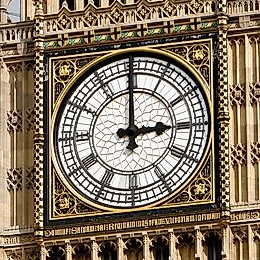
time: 2:59
